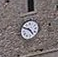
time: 4:49
